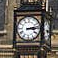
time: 3:13
